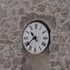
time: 10:38
